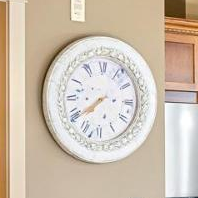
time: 7:39
